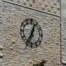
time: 12:34
